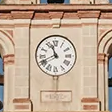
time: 11:40
